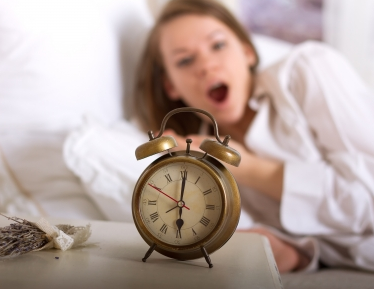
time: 6:00
